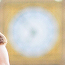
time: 6:53
